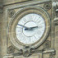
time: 2:48
